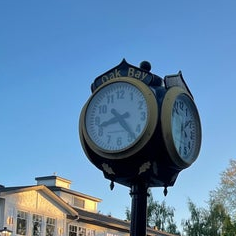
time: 8:23
